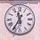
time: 11:35
